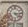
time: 4:14
